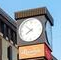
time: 7:52
